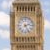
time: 2:25
